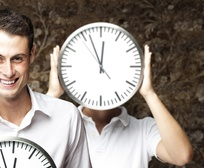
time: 11:56
